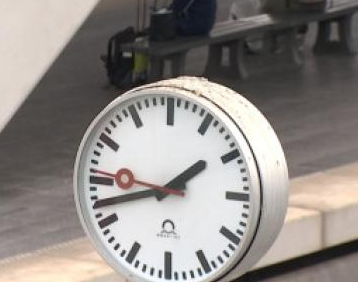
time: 1:42
